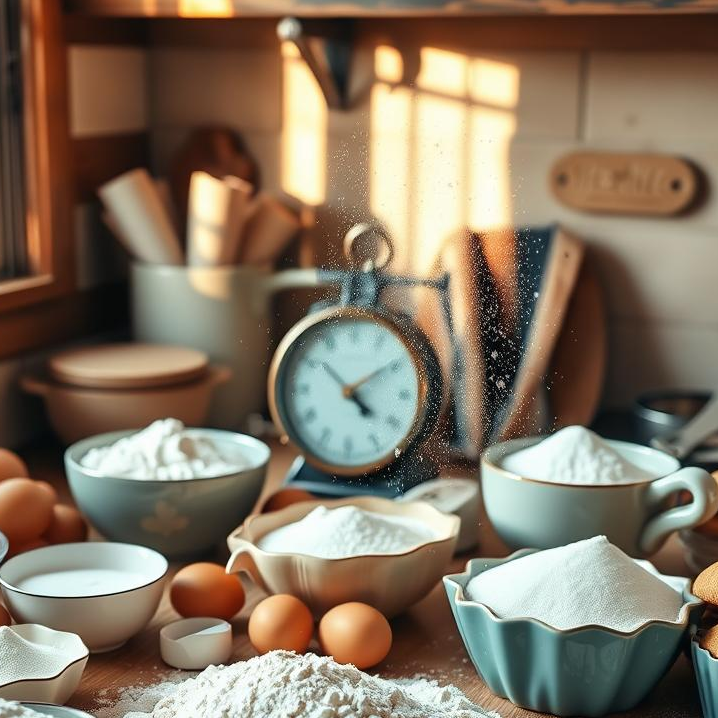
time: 4:09
